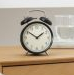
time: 1:51
